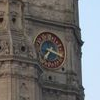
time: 7:18
